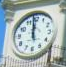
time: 11:58
